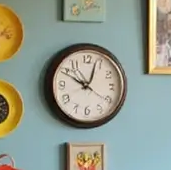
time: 10:03
